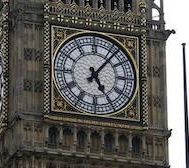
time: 5:06
